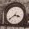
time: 3:40
